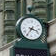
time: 3:35
